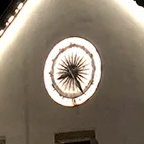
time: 8:24
